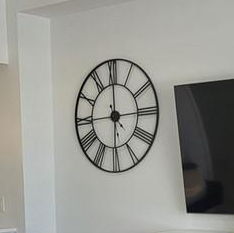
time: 5:59
